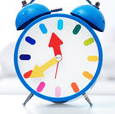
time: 11:39
